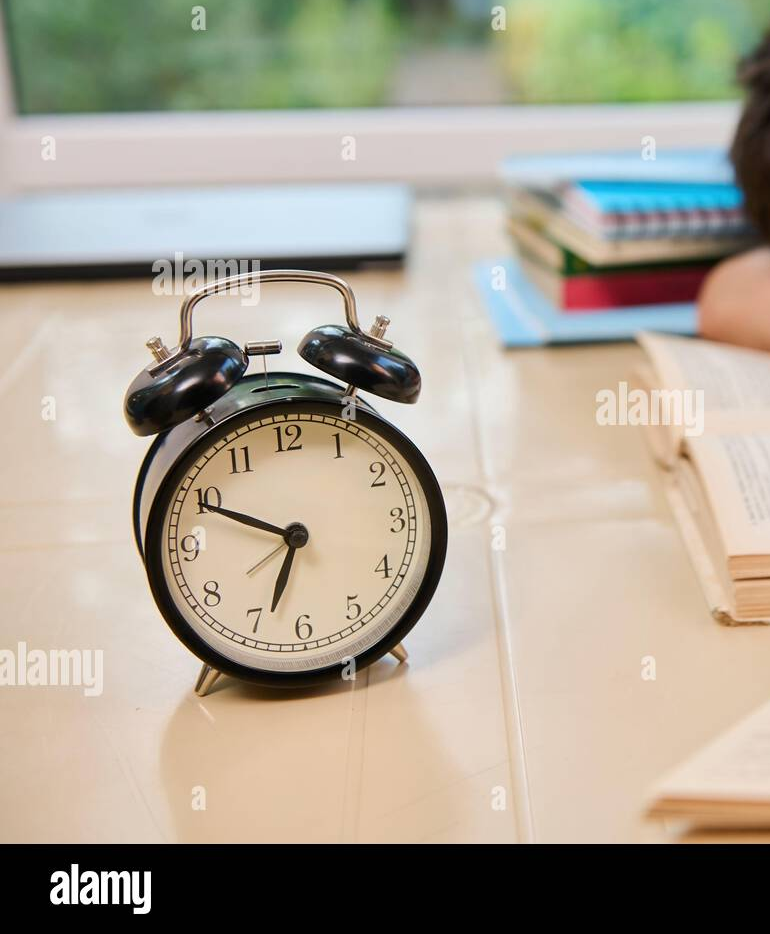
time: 6:49
